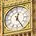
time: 12:24
